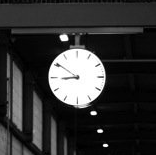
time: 8:50
